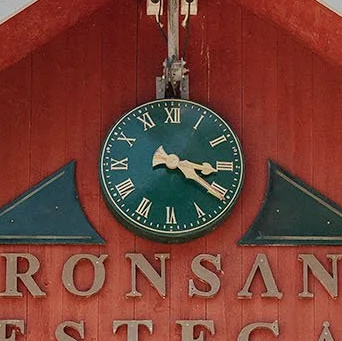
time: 3:20
